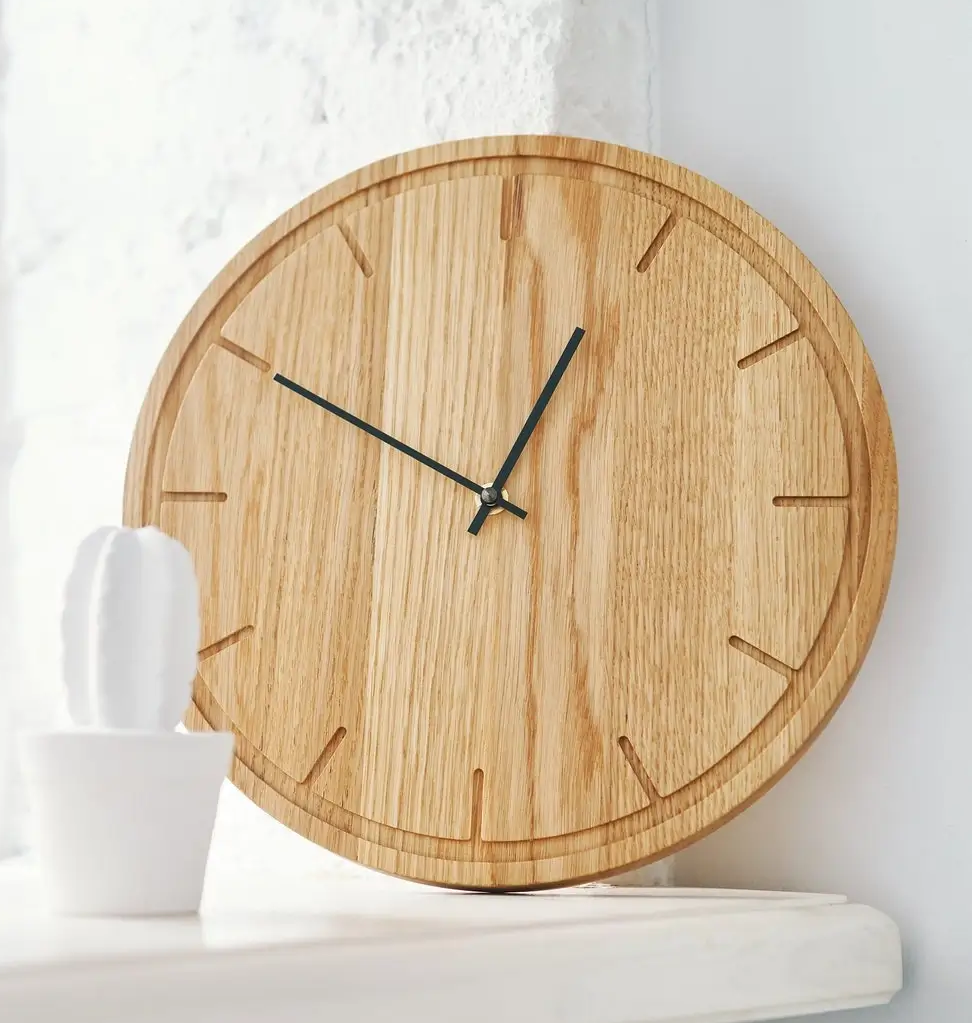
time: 12:49
